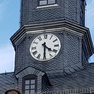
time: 4:30
